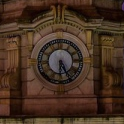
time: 6:25
